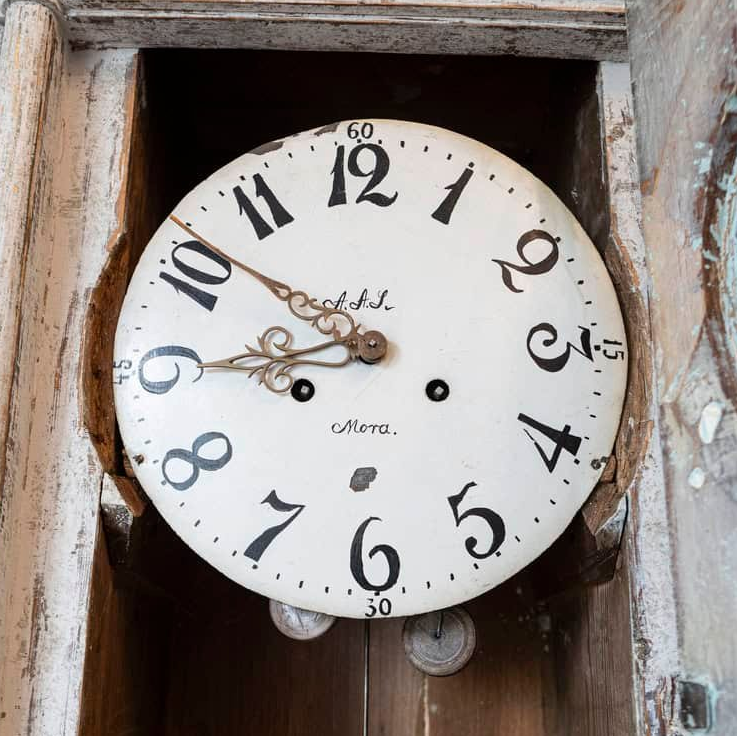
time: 8:51
